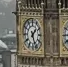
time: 1:26
